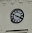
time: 3:48
